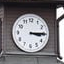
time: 3:14
